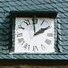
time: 1:59
